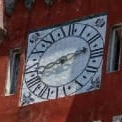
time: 8:12
